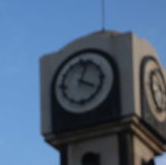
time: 4:03
